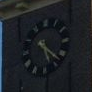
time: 5:22
